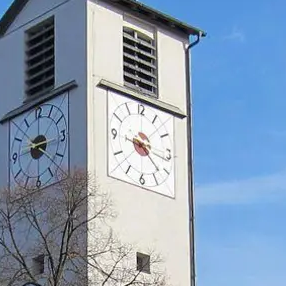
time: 4:17
